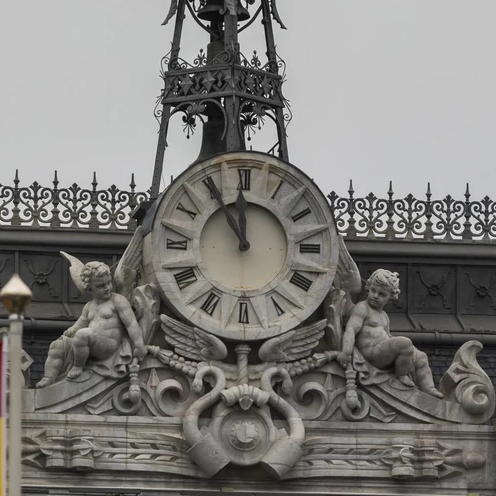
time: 11:54
